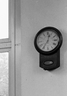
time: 12:35
